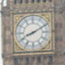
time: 8:10
